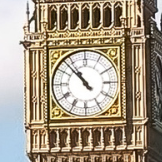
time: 10:52
